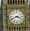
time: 3:41
